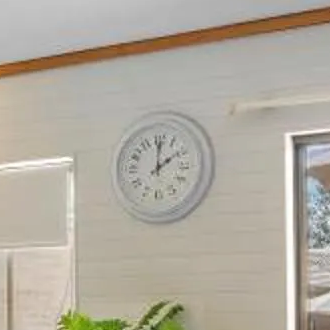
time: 2:00
